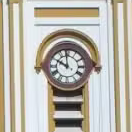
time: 9:58
